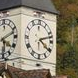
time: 4:12
